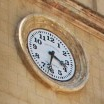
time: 3:32
